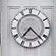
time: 7:22
